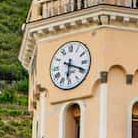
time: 6:18
